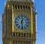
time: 12:28
